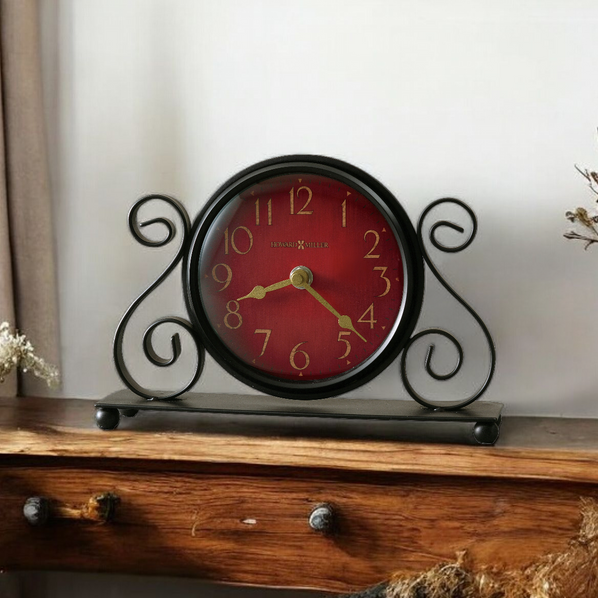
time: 8:22
